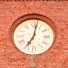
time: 7:02
